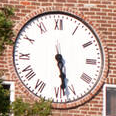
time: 5:28
